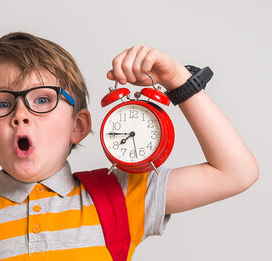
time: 7:45
